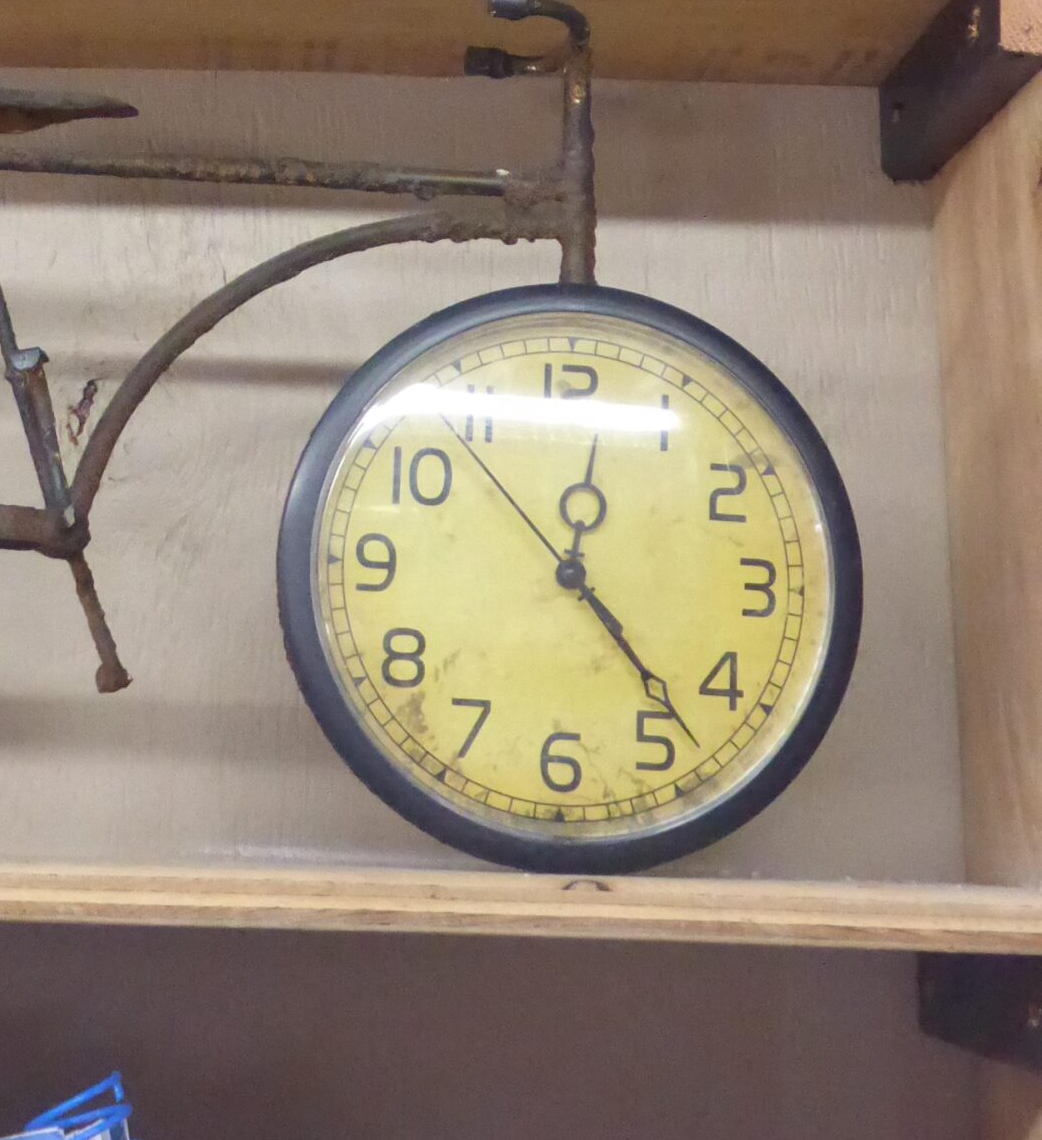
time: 12:23
